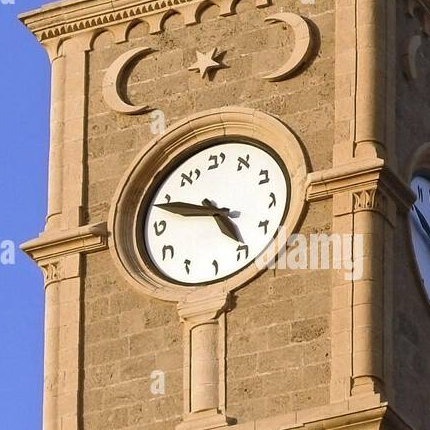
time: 4:48
